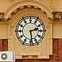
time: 2:28
